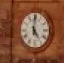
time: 5:00
